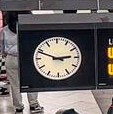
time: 2:48
